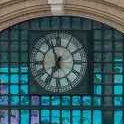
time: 6:56
